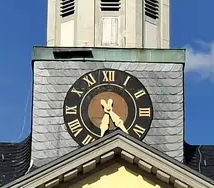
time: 6:23
